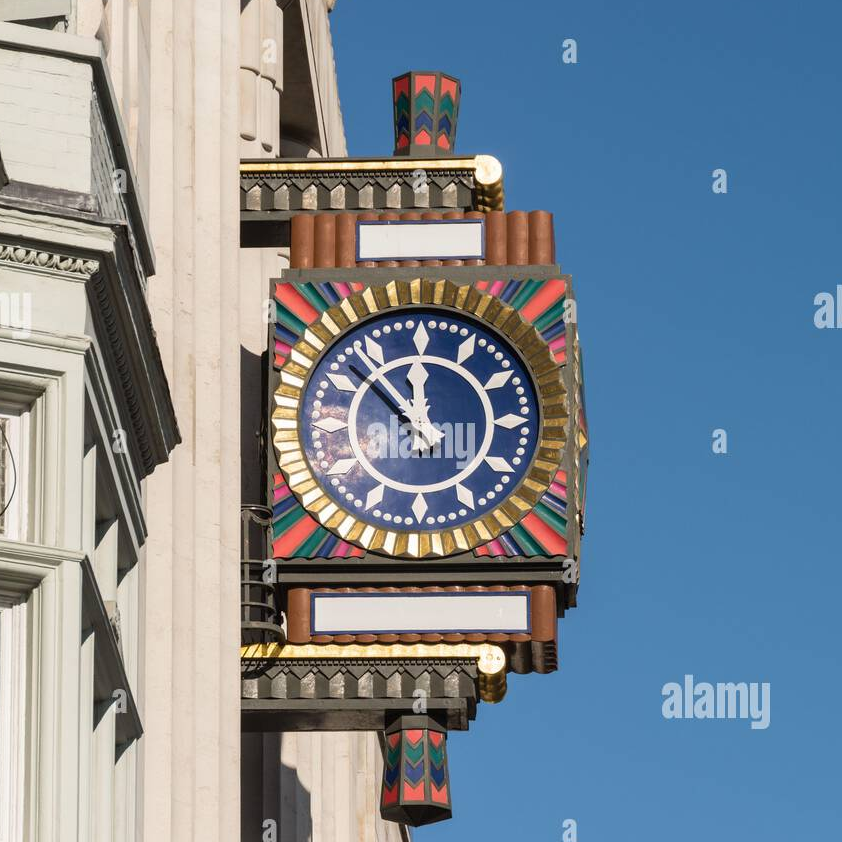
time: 11:52
